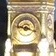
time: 9:18
